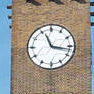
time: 11:16
